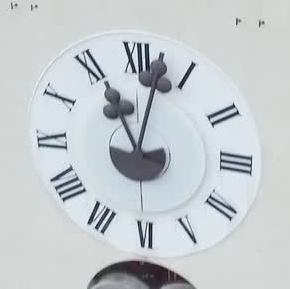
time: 11:02
